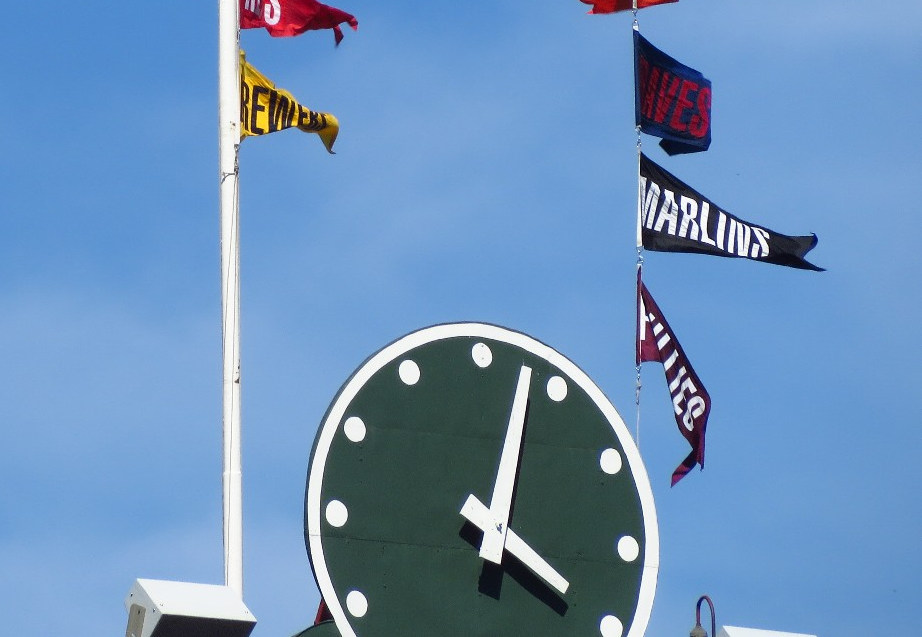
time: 4:02
